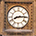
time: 8:14
